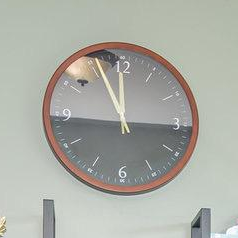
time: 11:55
